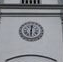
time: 6:01
